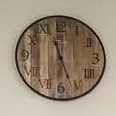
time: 11:26
